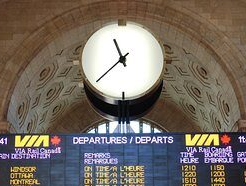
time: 10:37
